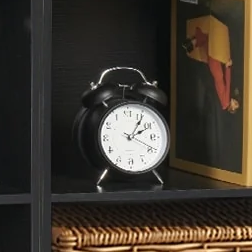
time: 2:06
